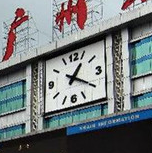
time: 1:20
